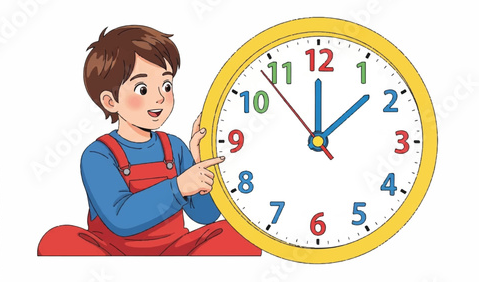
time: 12:07
